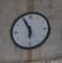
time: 5:55
